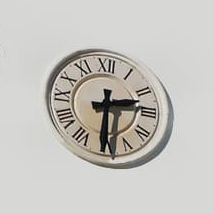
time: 2:30
